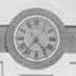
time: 4:36
